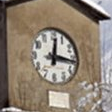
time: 12:15
